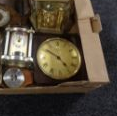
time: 4:50
